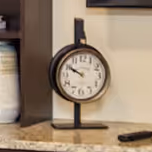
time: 9:50
